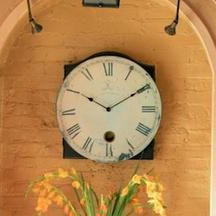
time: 10:09
